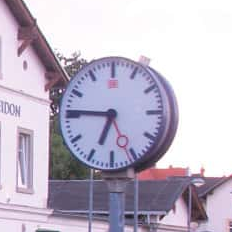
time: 6:45
